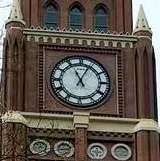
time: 11:04
